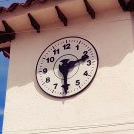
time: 2:30
